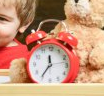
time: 11:35
